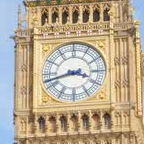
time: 3:42
